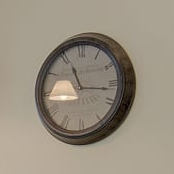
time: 11:16
